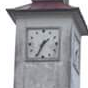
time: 1:34
